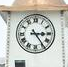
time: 3:24
